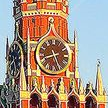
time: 8:26
